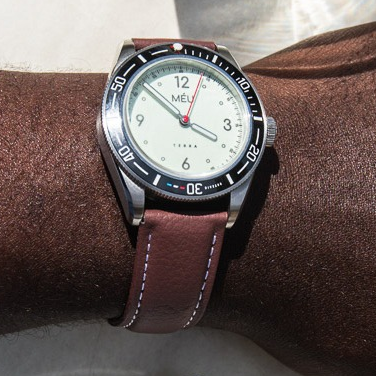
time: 12:52
